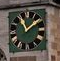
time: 11:08
